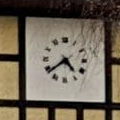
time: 4:38
